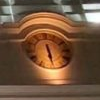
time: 5:27
